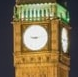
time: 9:13
